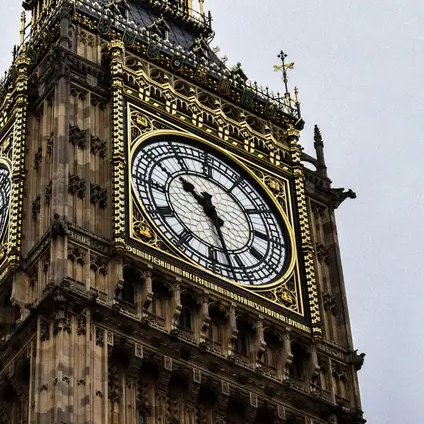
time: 10:27
